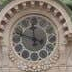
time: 11:47
